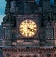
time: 4:17
